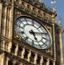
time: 5:11
